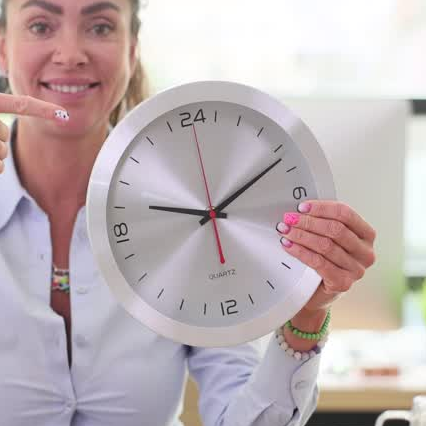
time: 9:10
